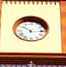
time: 10:15
